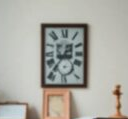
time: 8:37
